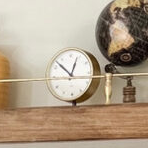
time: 12:52
